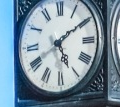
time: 5:09
